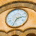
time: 2:33
